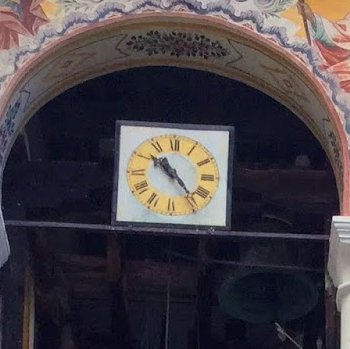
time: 10:22
